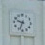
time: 9:33
